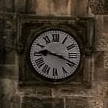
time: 9:18
